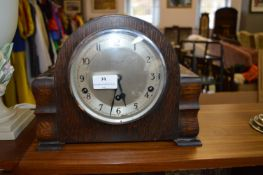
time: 5:32
